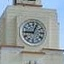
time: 9:03
